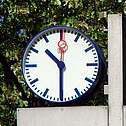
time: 10:30
